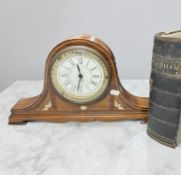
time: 11:32
